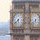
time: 5:38
